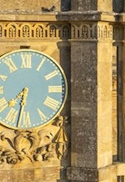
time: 7:32
